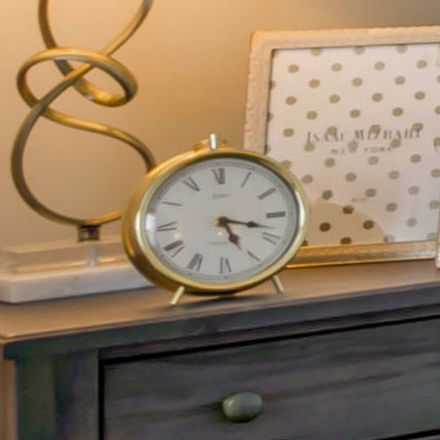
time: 5:17
